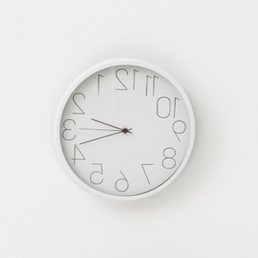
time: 9:42
